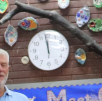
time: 11:58
